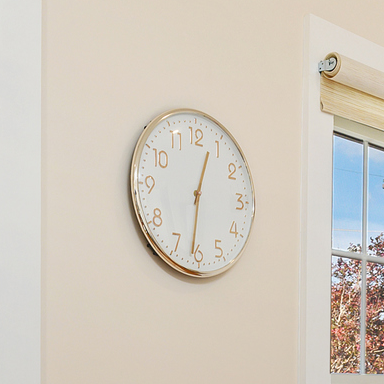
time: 12:31
